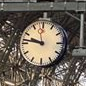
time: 9:46
